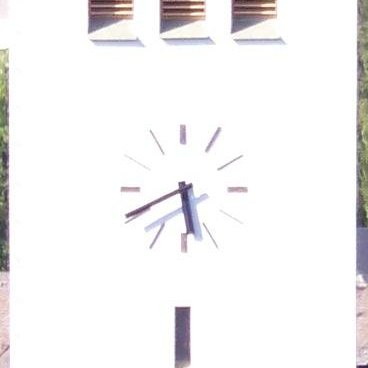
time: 5:40
